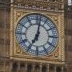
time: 7:01
